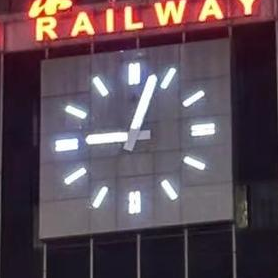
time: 9:03
